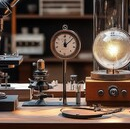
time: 12:07
